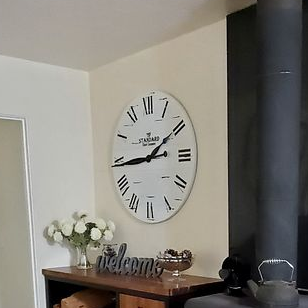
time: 1:43
